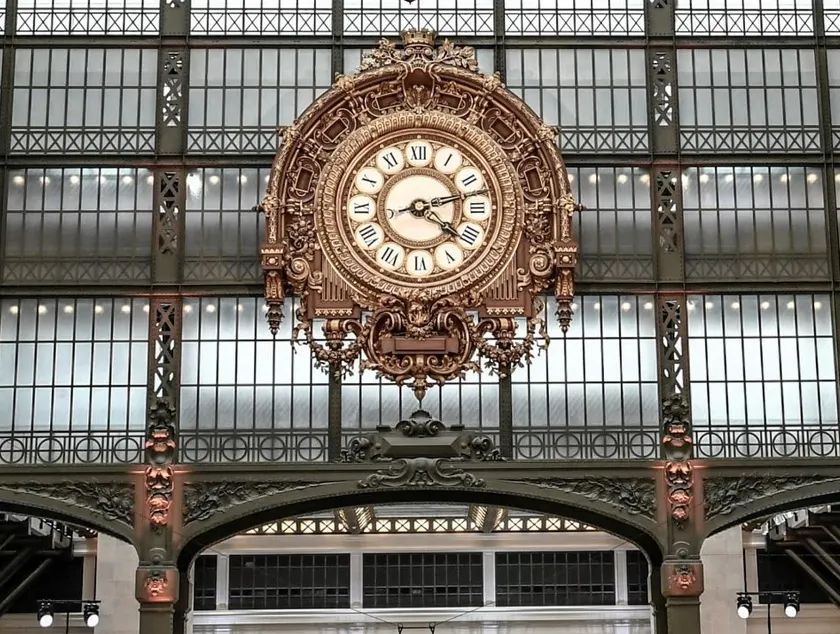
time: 4:12
